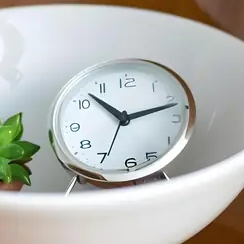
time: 10:12
